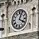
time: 4:03
